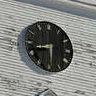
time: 8:30
